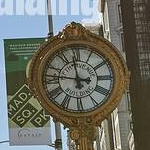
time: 11:46
